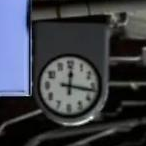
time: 12:16
